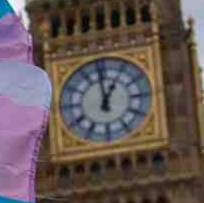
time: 12:59
